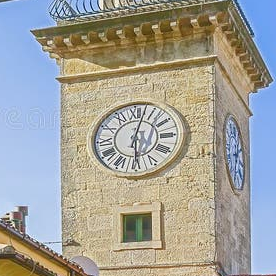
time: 6:02
